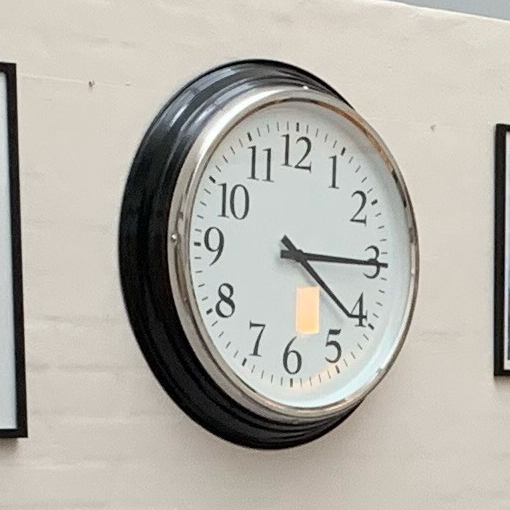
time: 4:15
